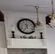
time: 11:35
